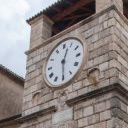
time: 12:29
